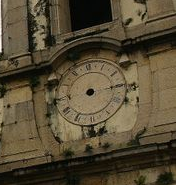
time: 3:15
